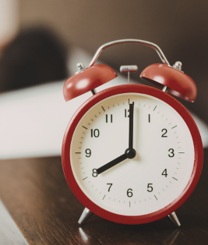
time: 8:00
